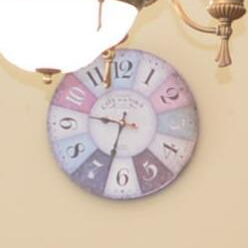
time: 9:33
